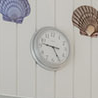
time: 9:25
